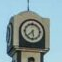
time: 5:38
